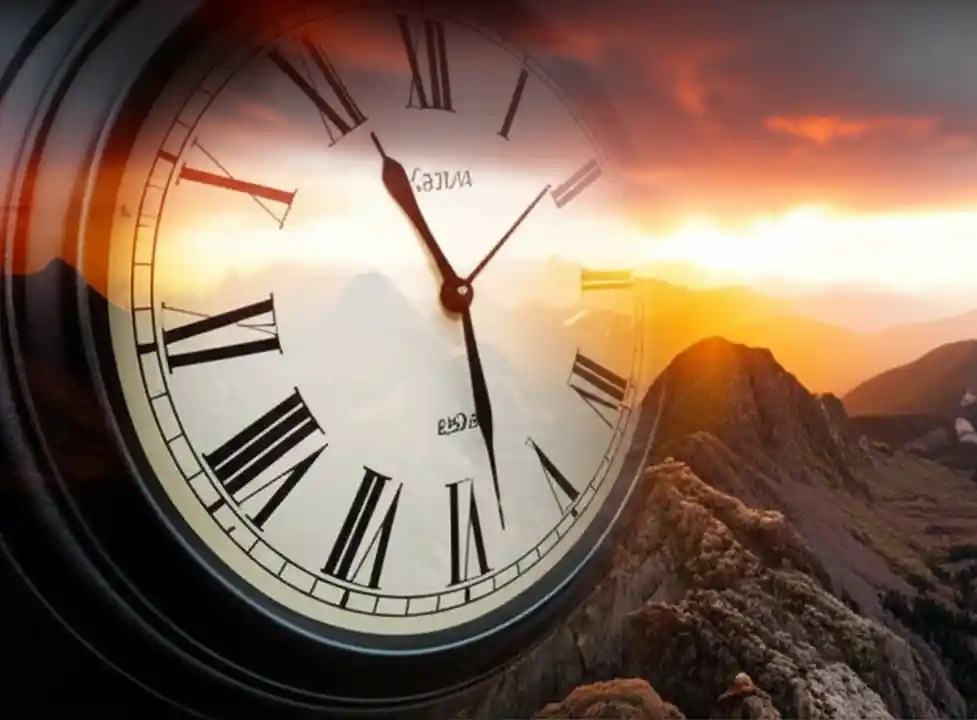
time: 11:28
